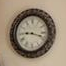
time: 9:18
